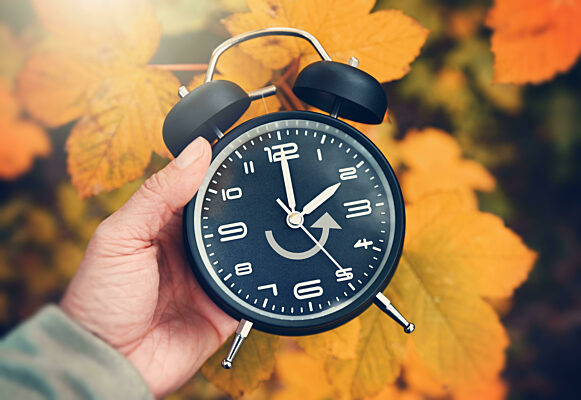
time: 2:00
